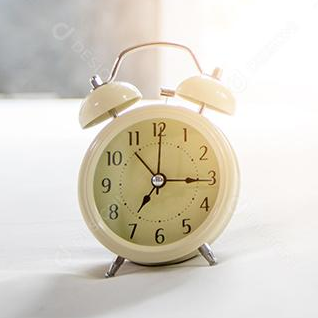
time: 7:15
